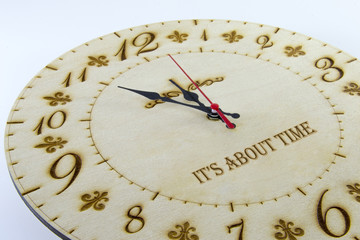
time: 10:50
